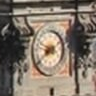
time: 8:38
